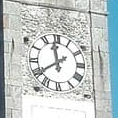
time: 11:39
